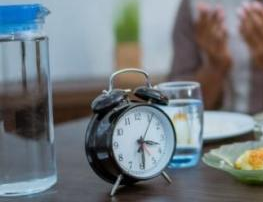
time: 3:29
